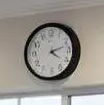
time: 4:12
